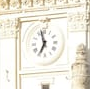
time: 6:57
